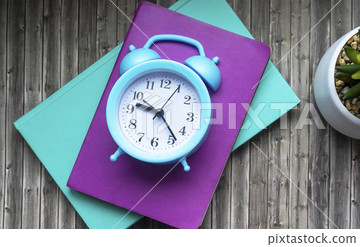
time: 9:23
